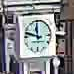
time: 11:47
